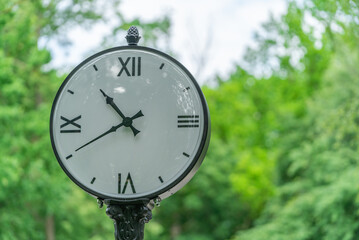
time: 10:40
